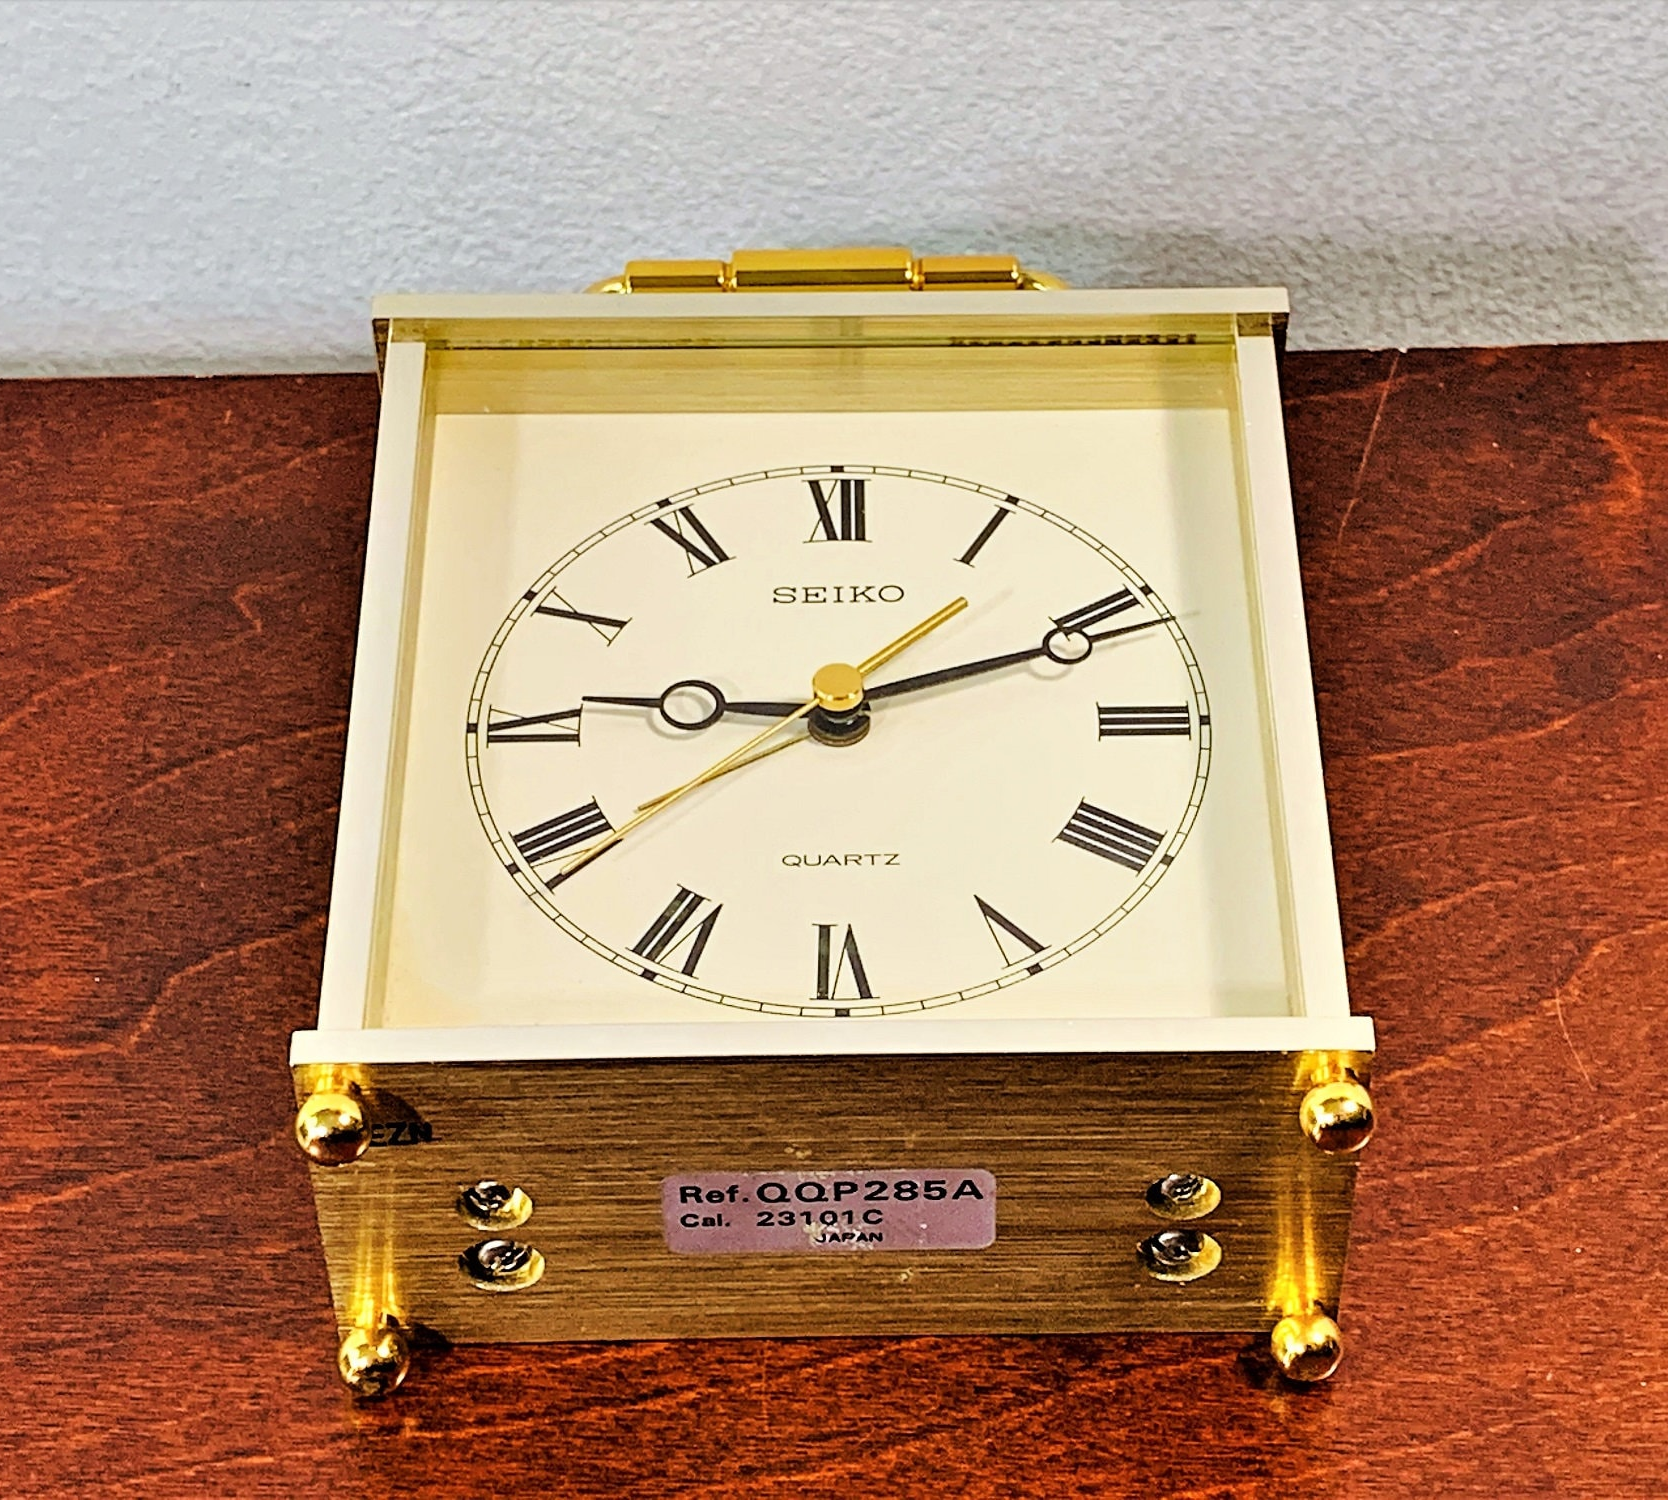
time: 9:11
